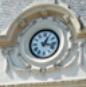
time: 1:17
